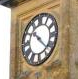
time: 10:22
